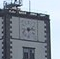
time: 6:13
